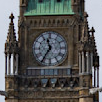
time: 11:35
